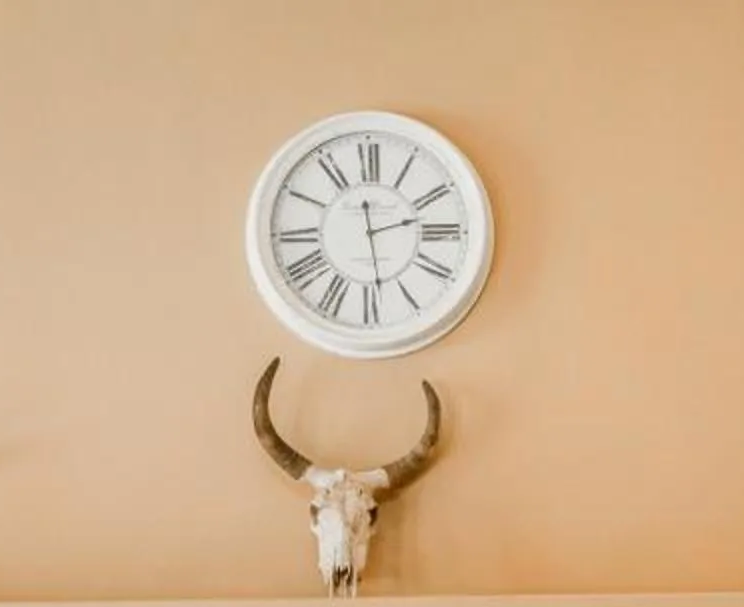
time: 2:28
